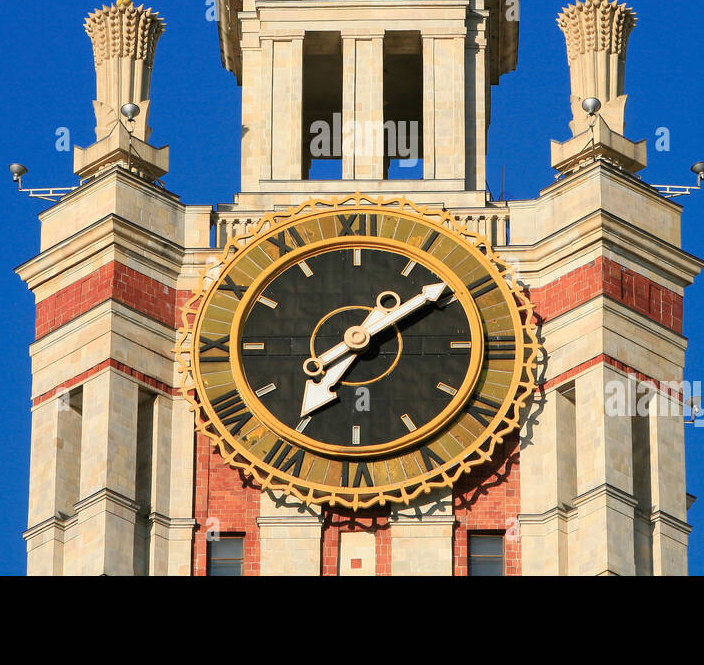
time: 7:09
